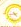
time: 4:42
